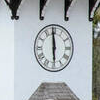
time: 5:59
